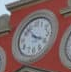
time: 3:52
